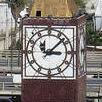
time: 3:07
